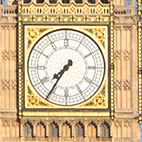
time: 7:35
